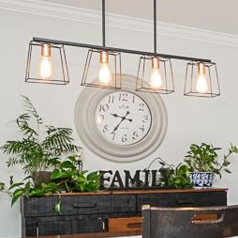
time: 9:36
